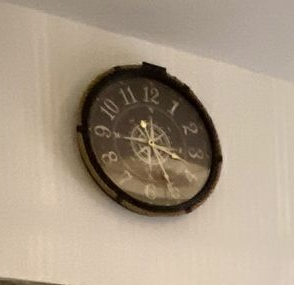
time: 3:26
